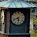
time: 5:41
